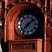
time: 1:37
